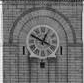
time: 12:49
